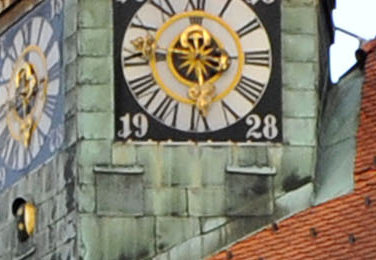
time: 5:45
